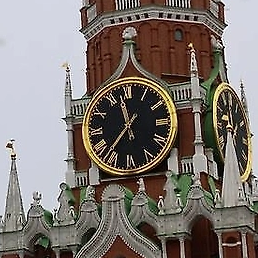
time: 11:36
